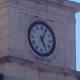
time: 5:04
